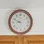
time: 8:48
